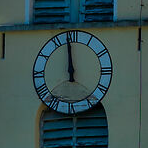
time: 11:58
